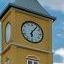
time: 6:06
